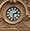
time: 2:29
